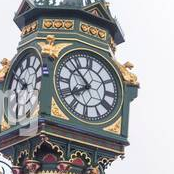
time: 7:52
